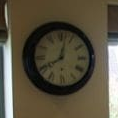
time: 8:02
